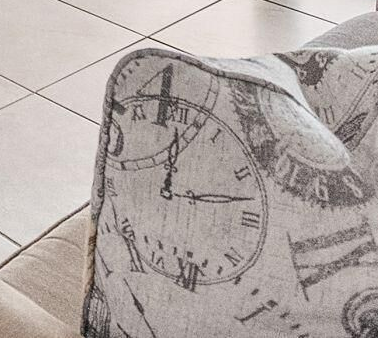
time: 12:13
